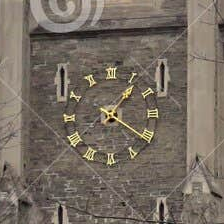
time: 1:20
